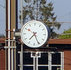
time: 7:25
